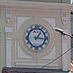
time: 1:16
